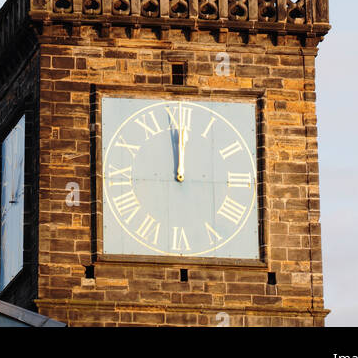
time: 12:01
